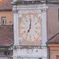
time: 7:01
